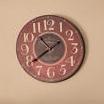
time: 10:39
